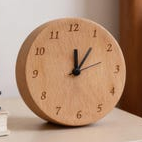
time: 12:06
